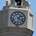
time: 1:18
